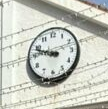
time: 9:48
